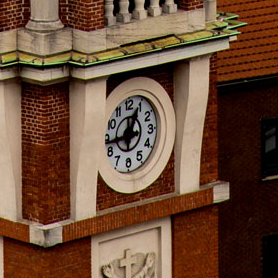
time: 12:43
